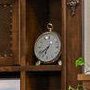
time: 6:38
